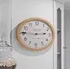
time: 2:45
